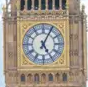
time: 5:04
